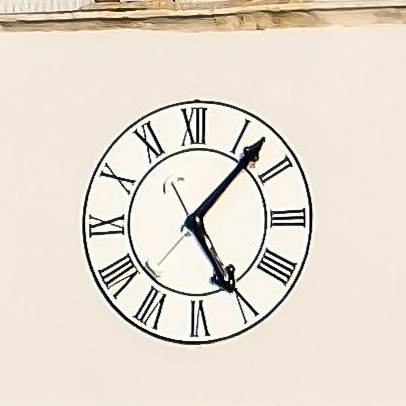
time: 5:07
